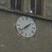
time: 1:38
